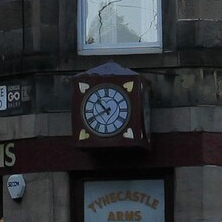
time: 10:40
